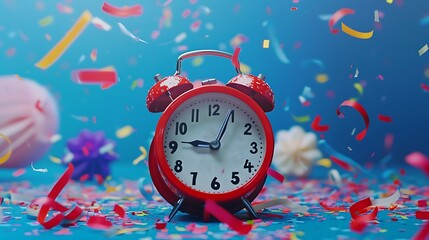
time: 9:04
